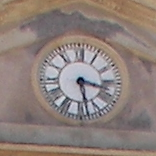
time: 3:28
